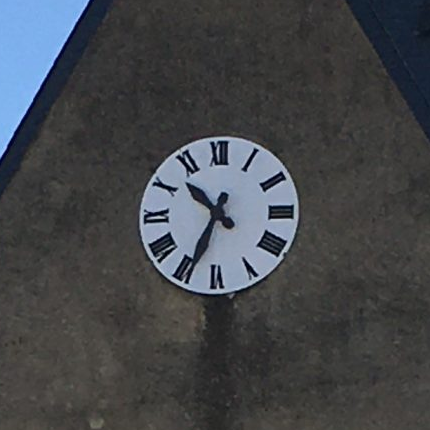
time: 10:34
